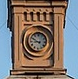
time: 8:49
